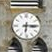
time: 6:15
